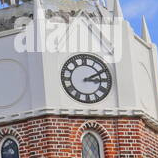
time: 3:10
